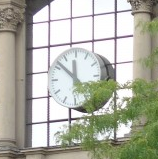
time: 11:52
